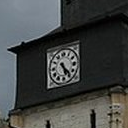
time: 5:23
